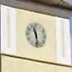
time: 11:28
